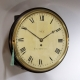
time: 1:50
